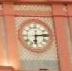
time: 6:14
